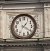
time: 1:20
